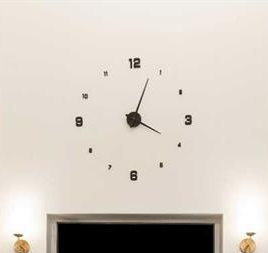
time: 4:03
